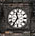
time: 11:35
